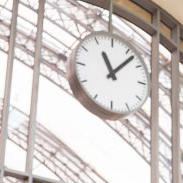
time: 11:07
